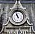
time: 10:56
